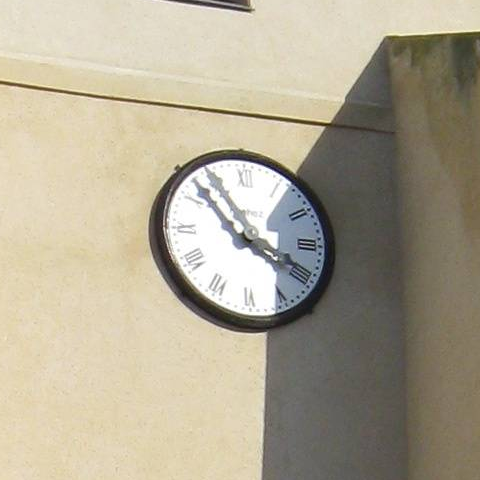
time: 3:53
